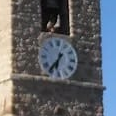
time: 6:36
